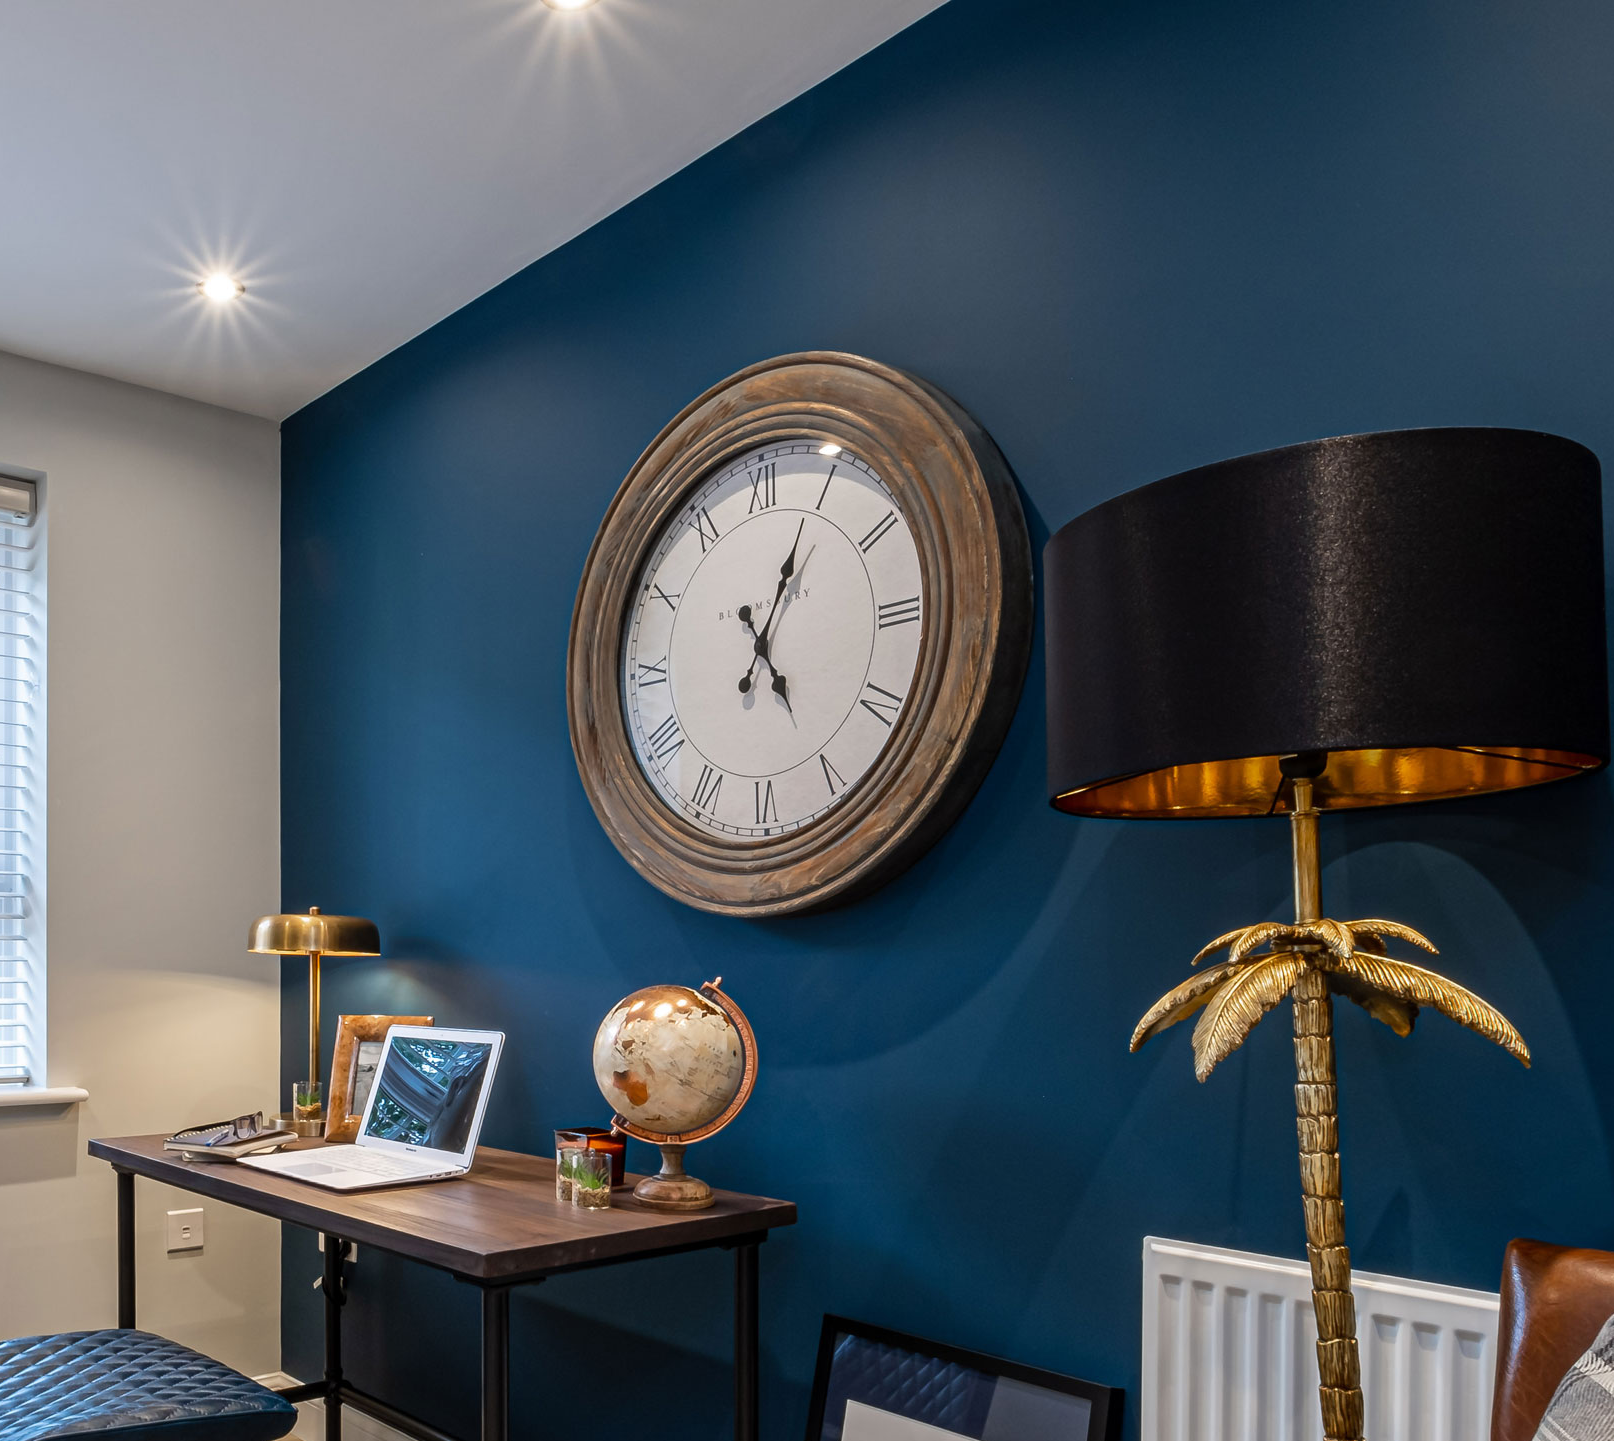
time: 5:04
